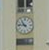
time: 10:46
